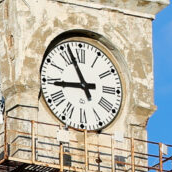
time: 8:56
